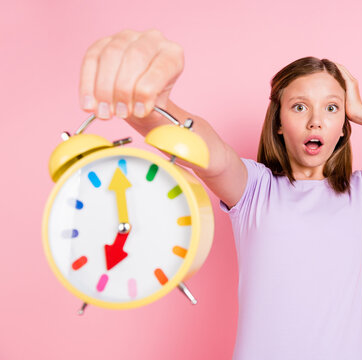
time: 6:59
